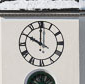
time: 10:00
